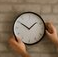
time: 1:50
